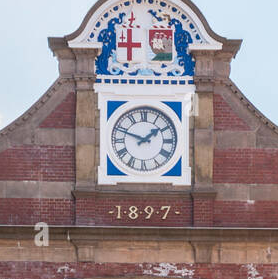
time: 1:48
